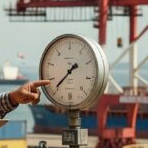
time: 1:36
